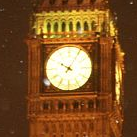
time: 10:04
